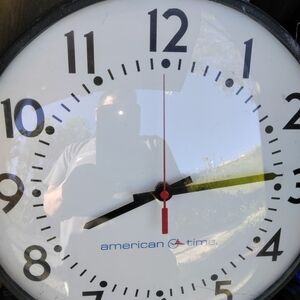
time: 8:14
